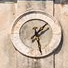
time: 1:28
